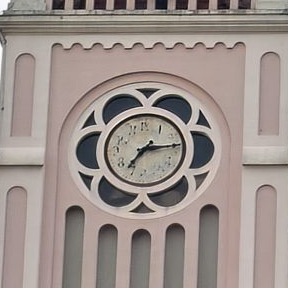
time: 7:13
